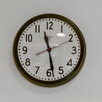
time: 11:28
